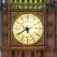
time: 5:40
